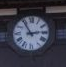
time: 2:54
